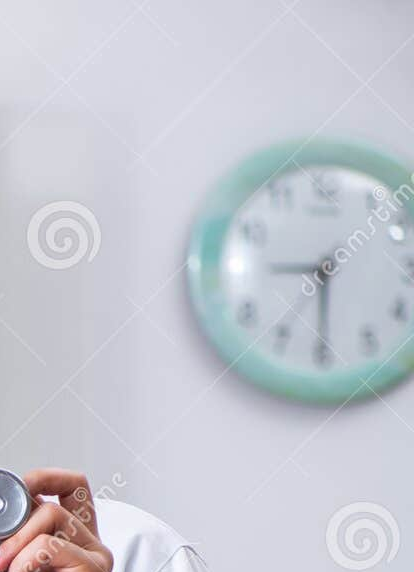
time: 9:07
